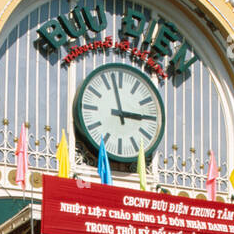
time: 2:58
